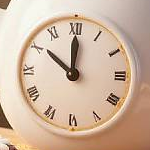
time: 11:50
